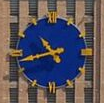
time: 10:42
